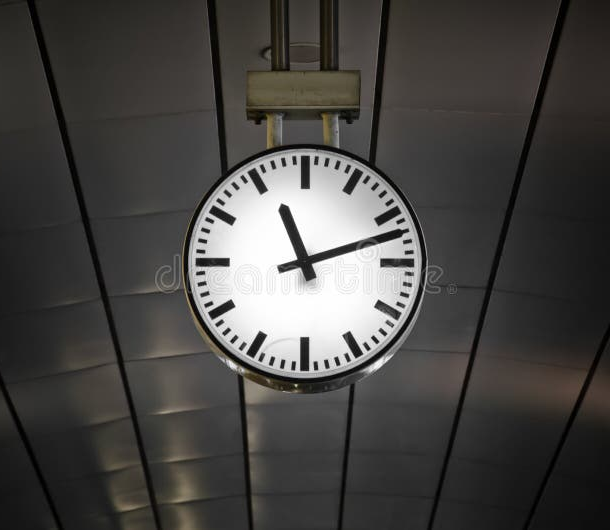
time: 11:12
